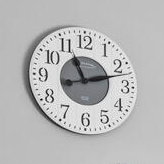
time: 11:12
